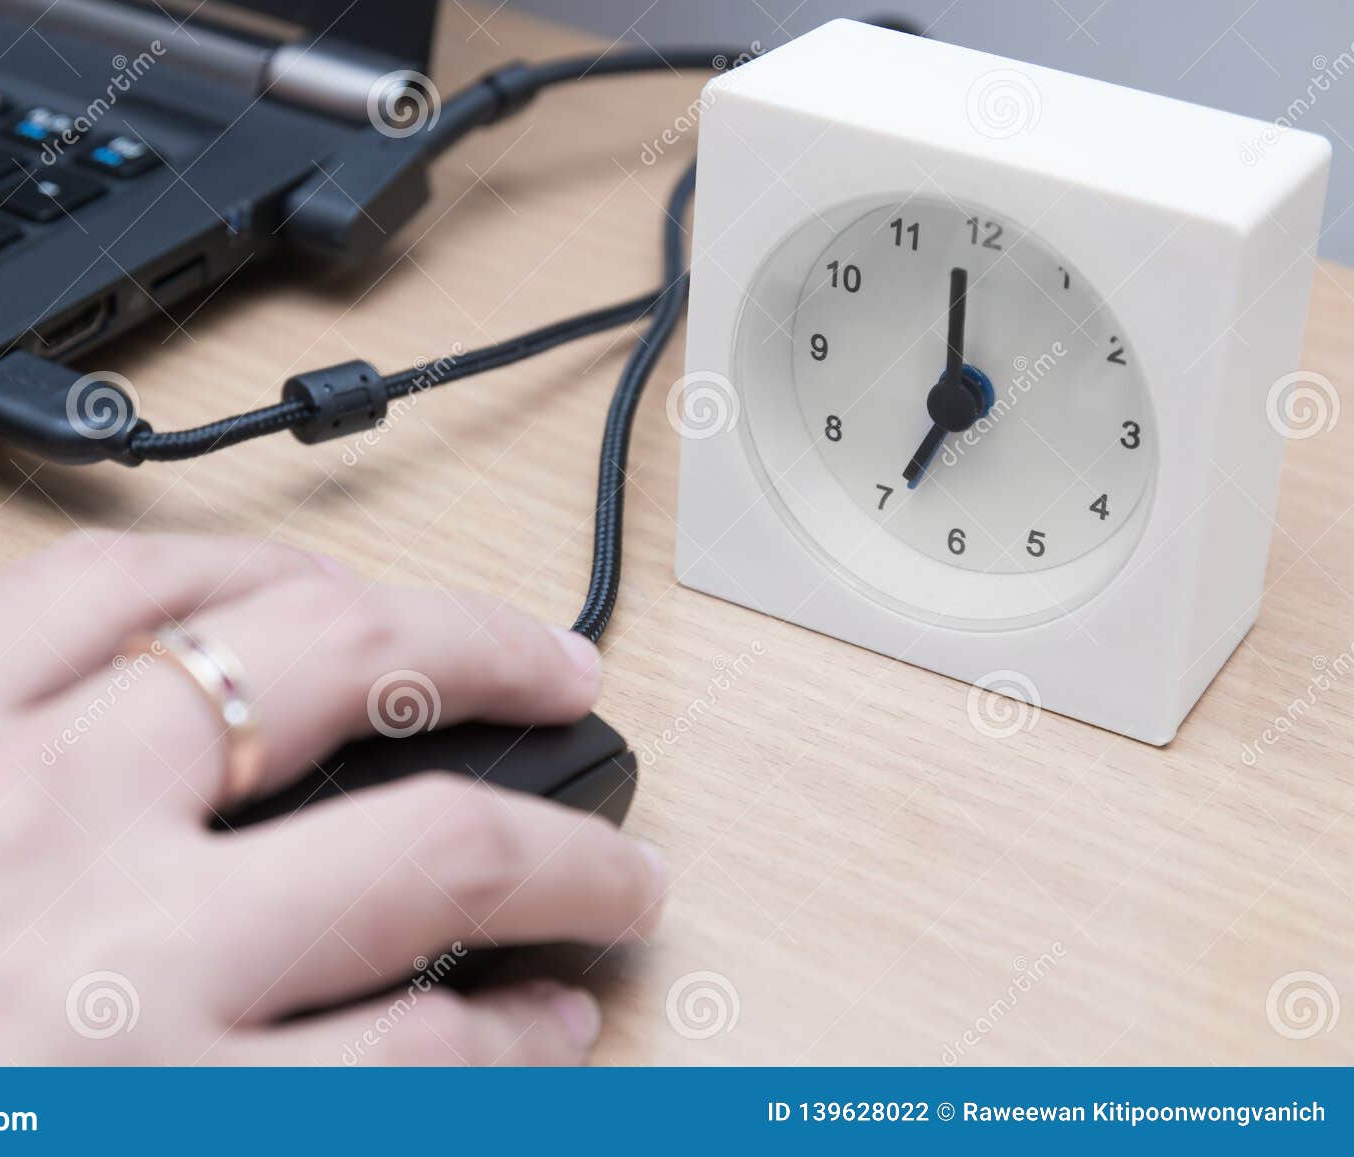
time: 6:58
